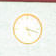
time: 5:17
